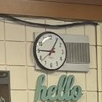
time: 9:05
